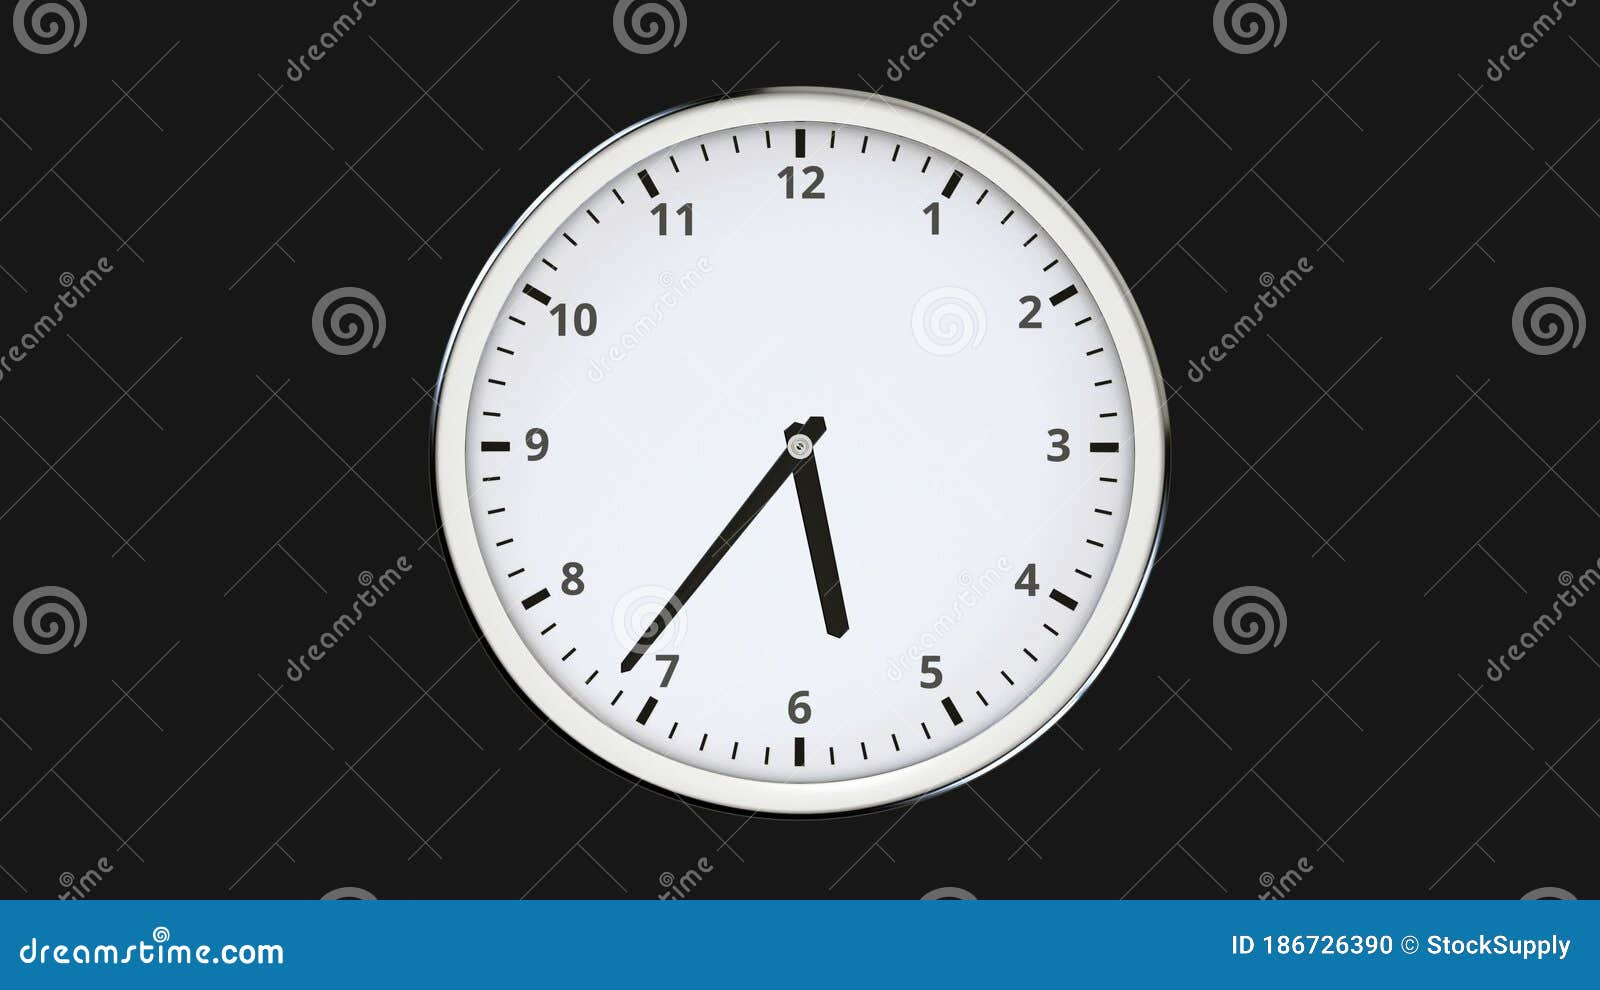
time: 5:36
